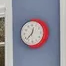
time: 12:37
